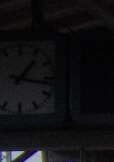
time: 1:16
